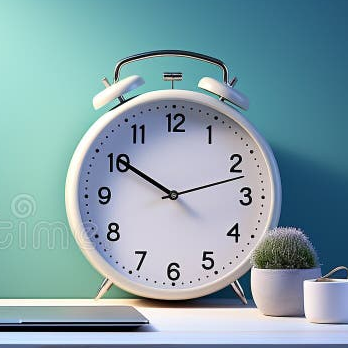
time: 10:12
